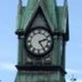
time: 2:24
